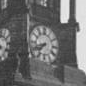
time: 7:41
